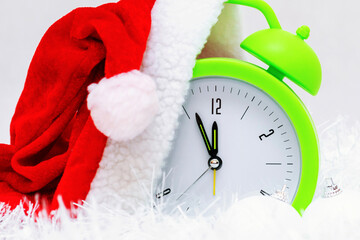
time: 11:55
